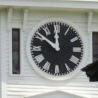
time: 11:51
